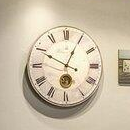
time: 12:49
